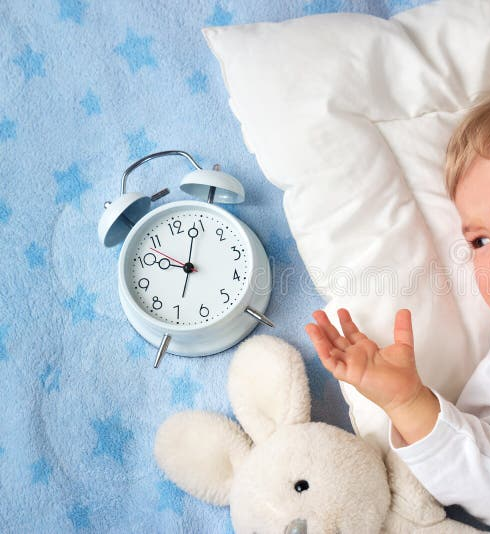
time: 10:04
